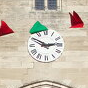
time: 2:50
